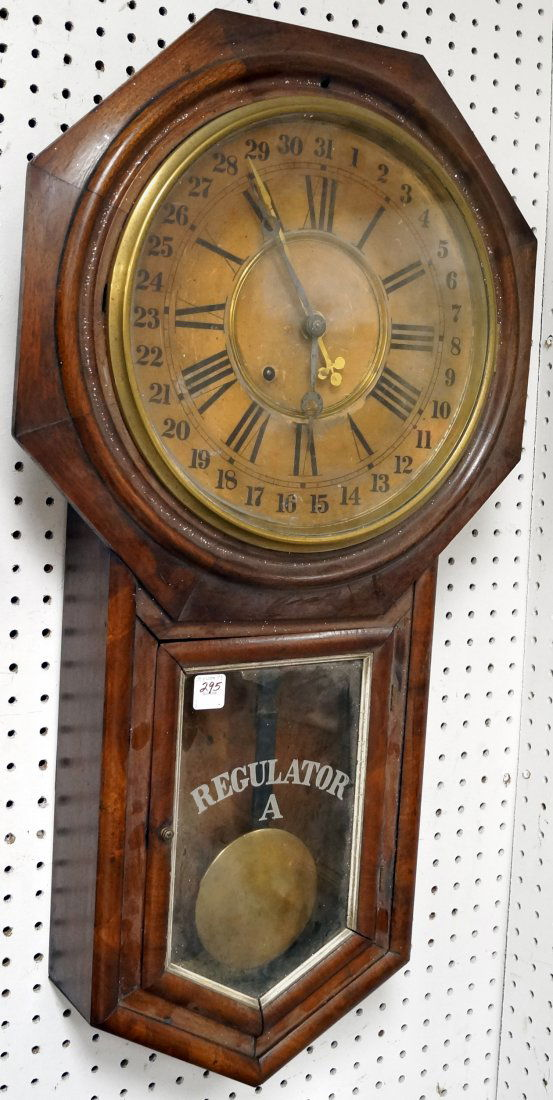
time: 5:54
